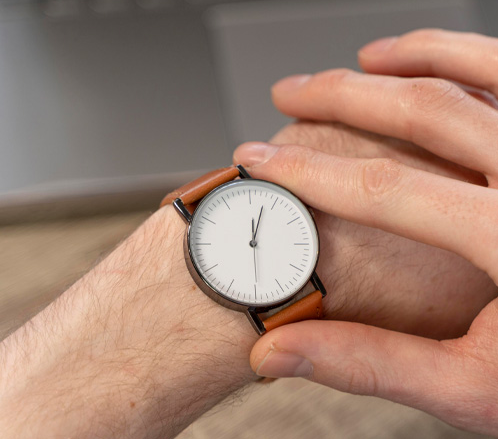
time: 12:02
